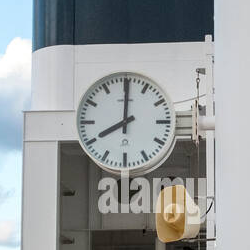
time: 8:00
